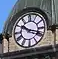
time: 10:18
